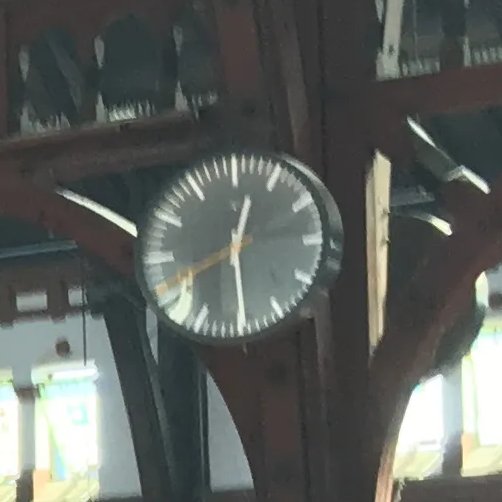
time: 12:29
